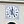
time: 12:23
